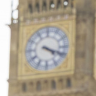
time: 4:18
